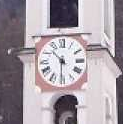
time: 10:30
